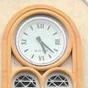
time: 5:22
